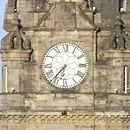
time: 6:36
